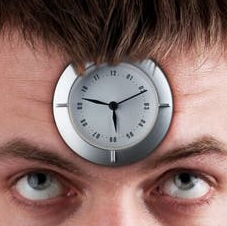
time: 5:47
